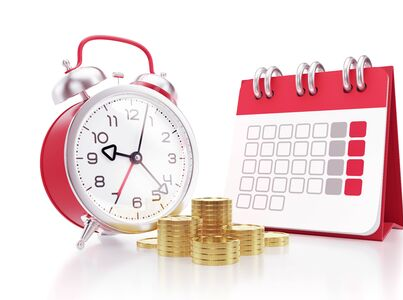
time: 9:22
